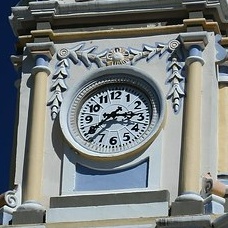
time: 2:38
